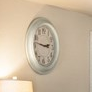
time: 2:46
